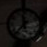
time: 11:36
